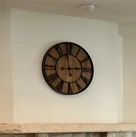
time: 2:58
